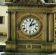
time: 2:03
